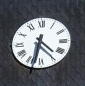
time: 4:31
